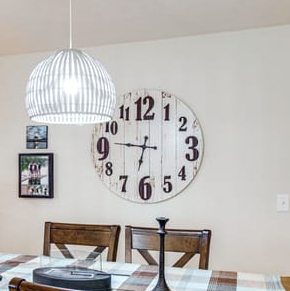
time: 6:46
